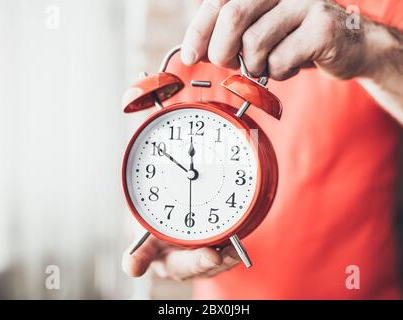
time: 11:50
